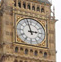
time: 2:57
